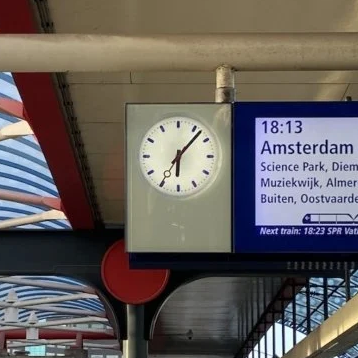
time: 6:07
